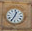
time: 12:34
